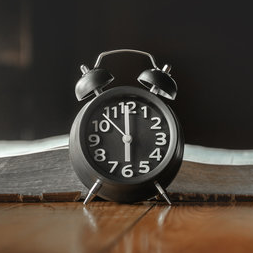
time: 6:00
